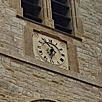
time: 6:54
